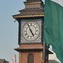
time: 4:55
